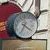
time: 4:34
